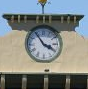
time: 3:54
